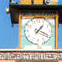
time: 1:18
